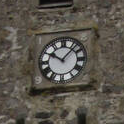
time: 10:07
